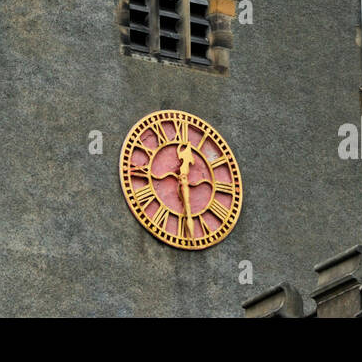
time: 12:28
